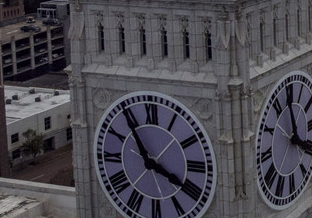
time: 3:54
